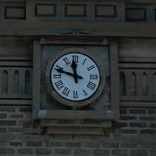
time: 11:47
